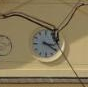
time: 3:20
